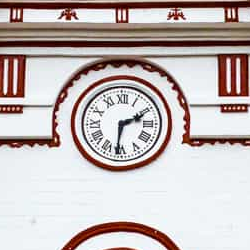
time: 2:31
